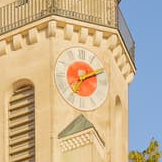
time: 2:11
